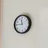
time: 11:45
